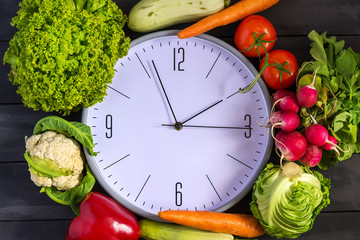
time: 1:56
